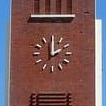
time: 2:00
